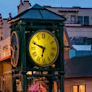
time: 6:48
